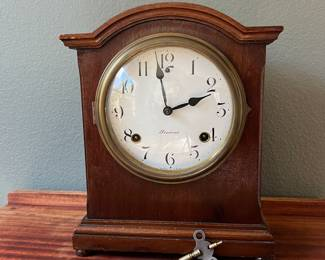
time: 2:11
